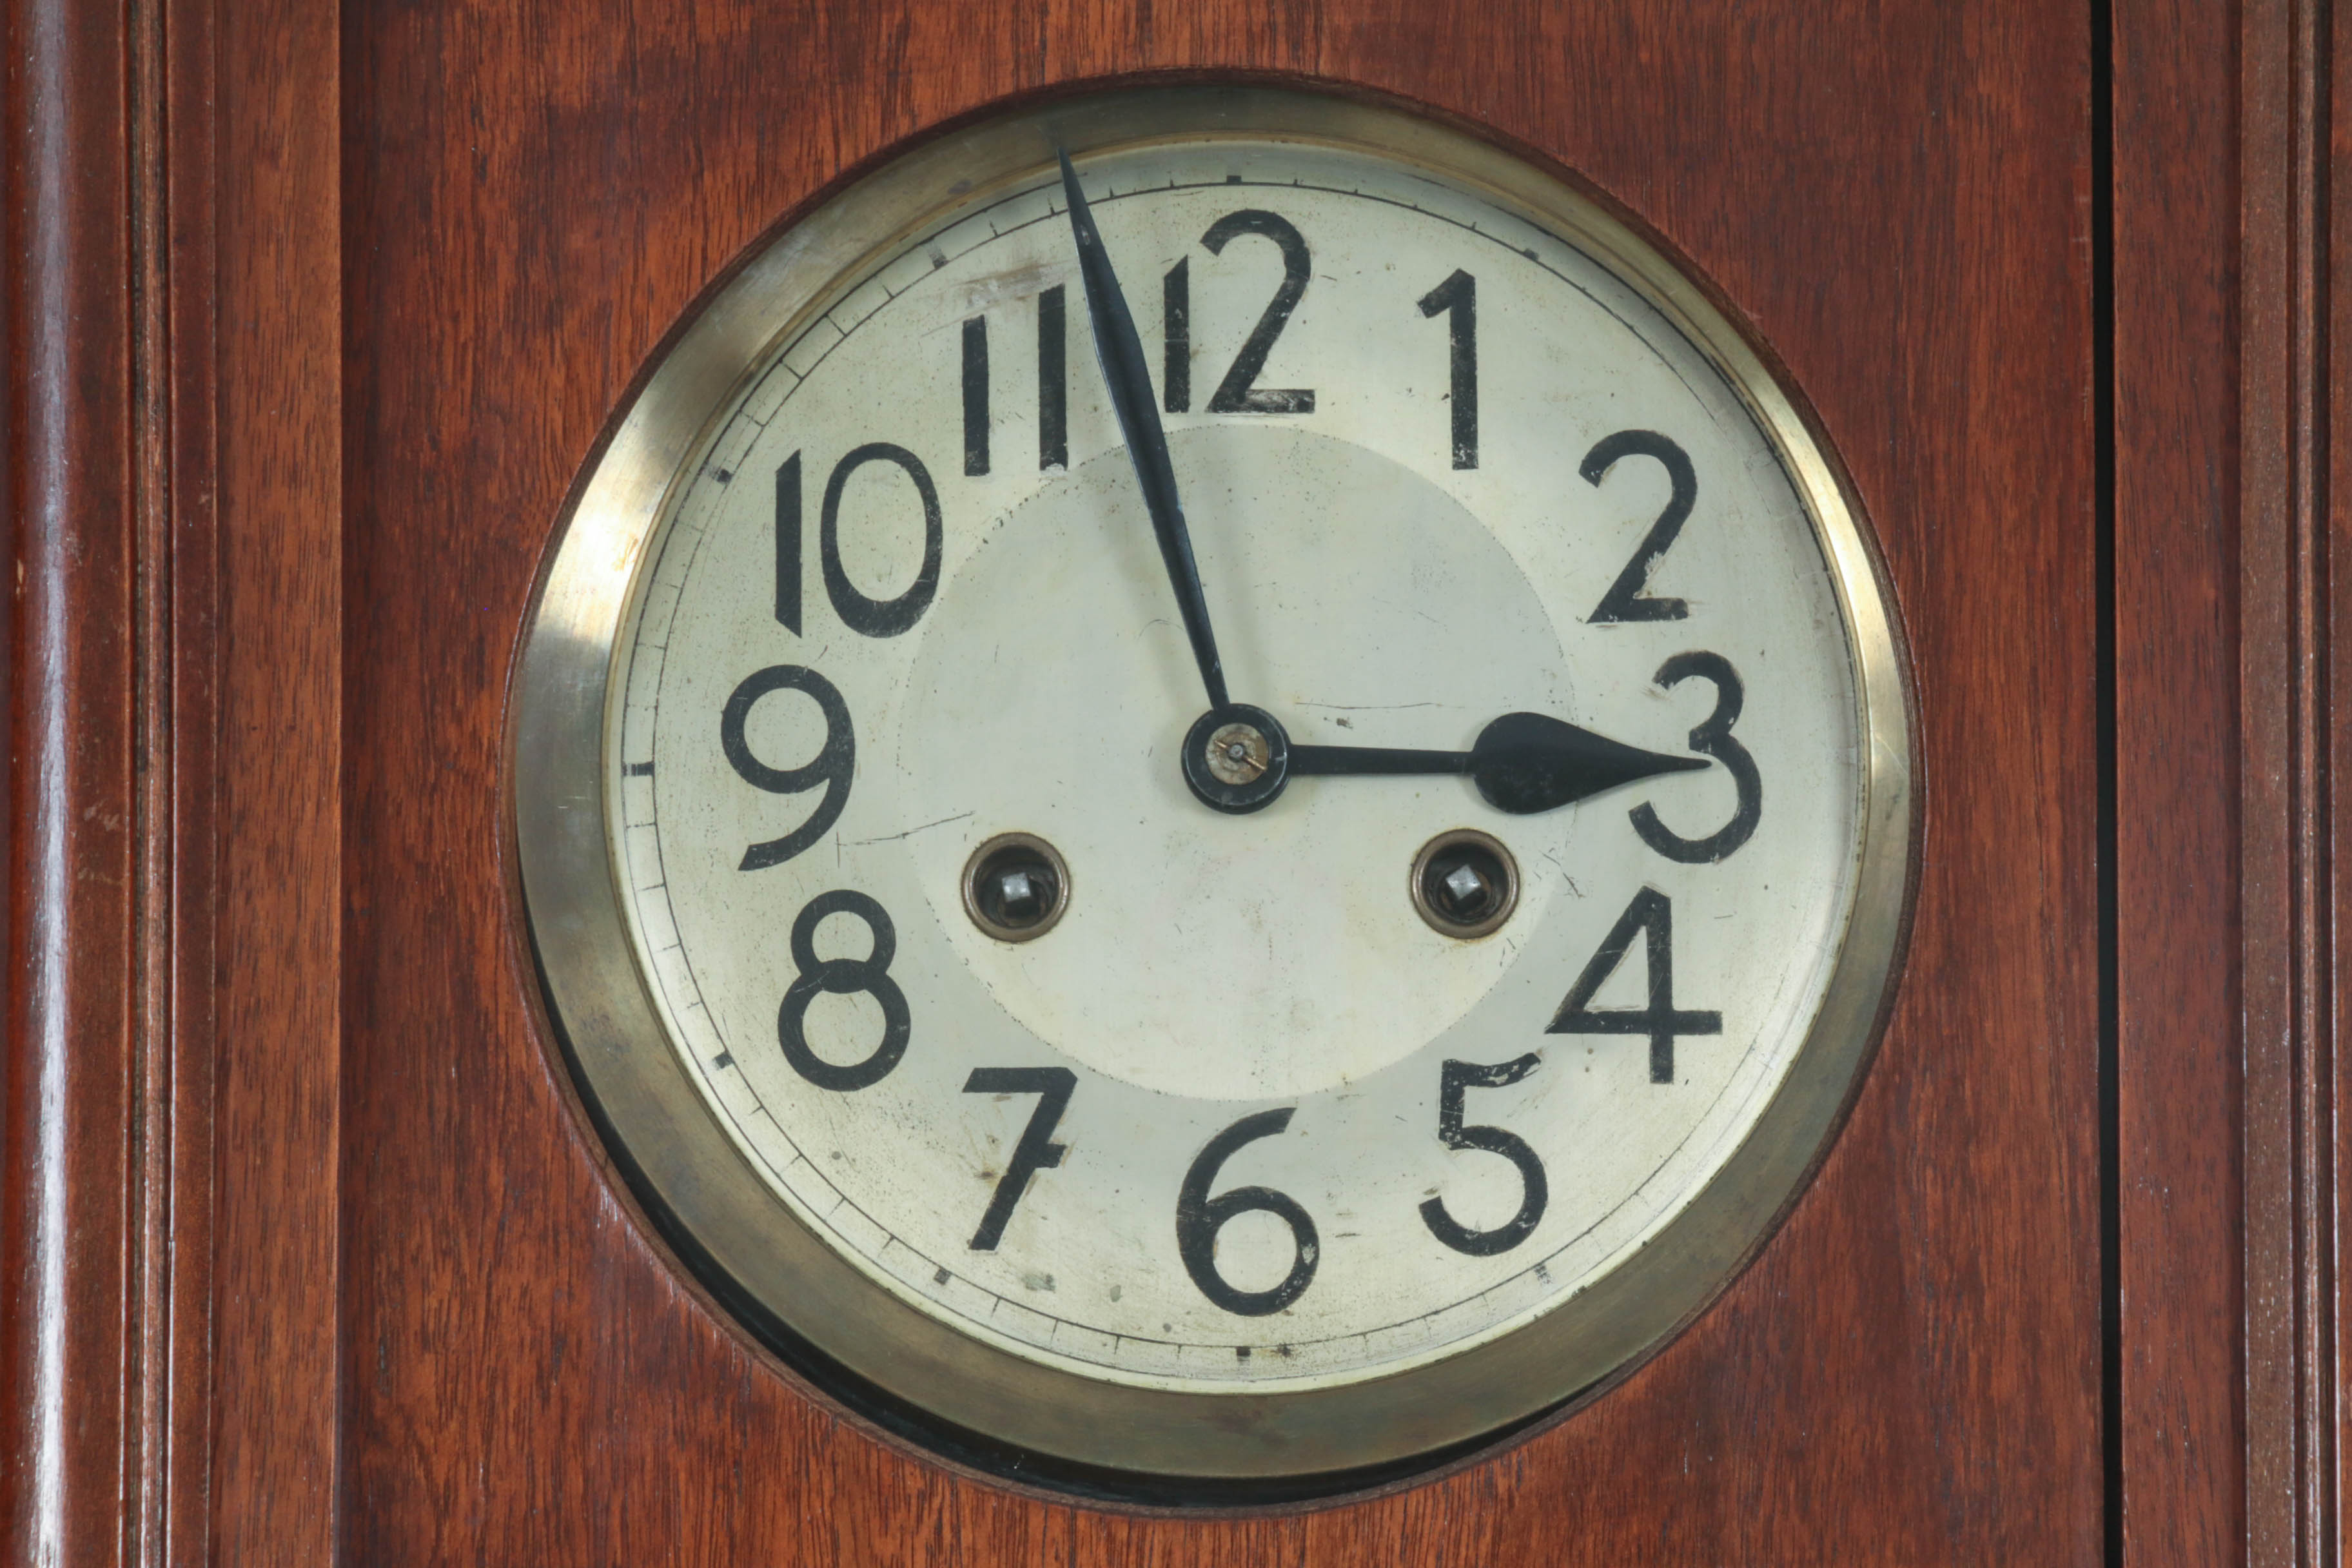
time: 2:57
